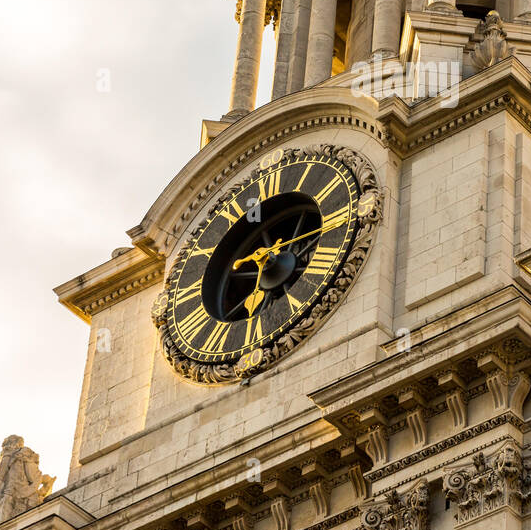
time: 6:14
